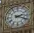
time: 2:18
